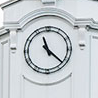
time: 11:21
